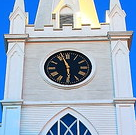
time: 5:56
